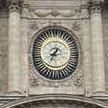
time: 7:34
